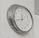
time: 11:42
